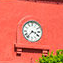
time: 3:36
